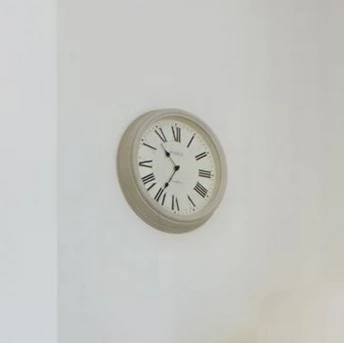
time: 10:35
